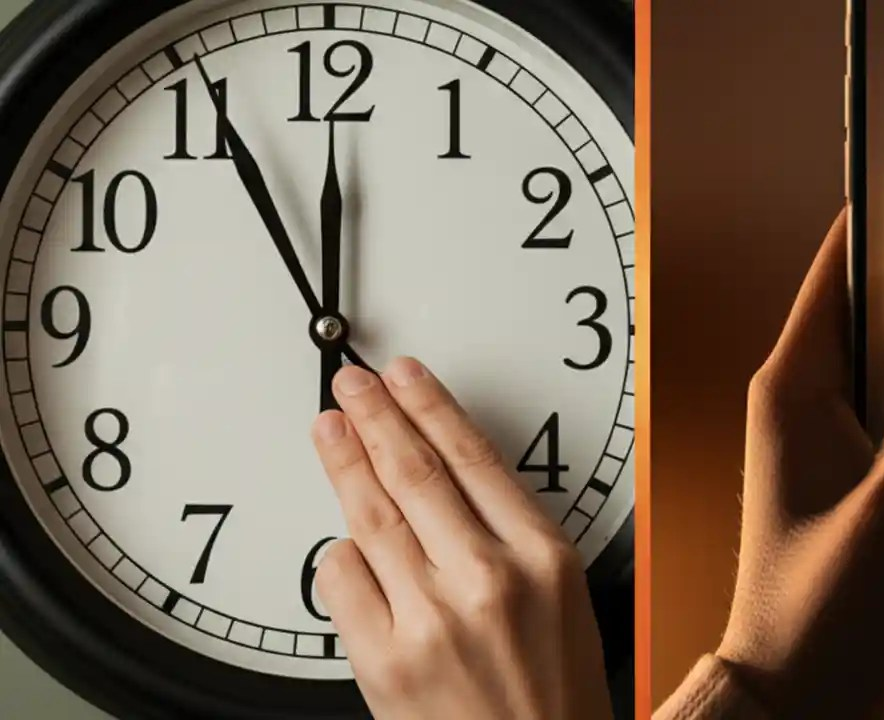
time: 11:55
